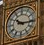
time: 10:15
